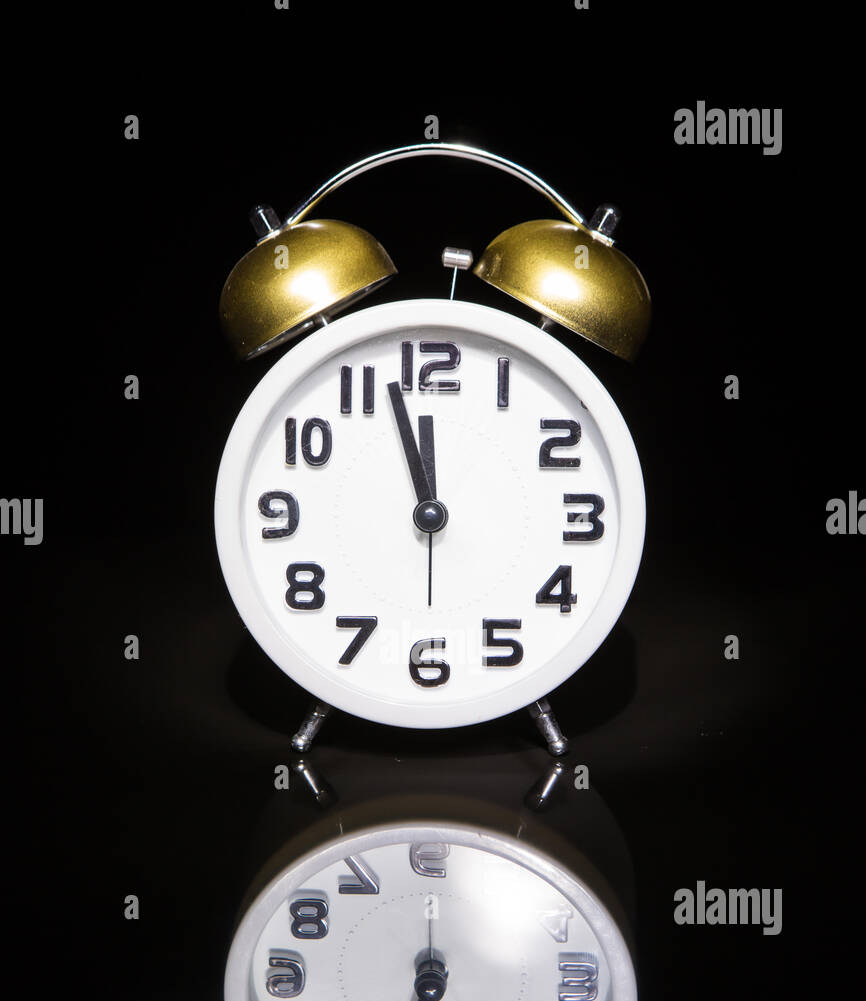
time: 11:57
